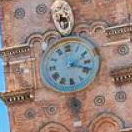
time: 2:18
